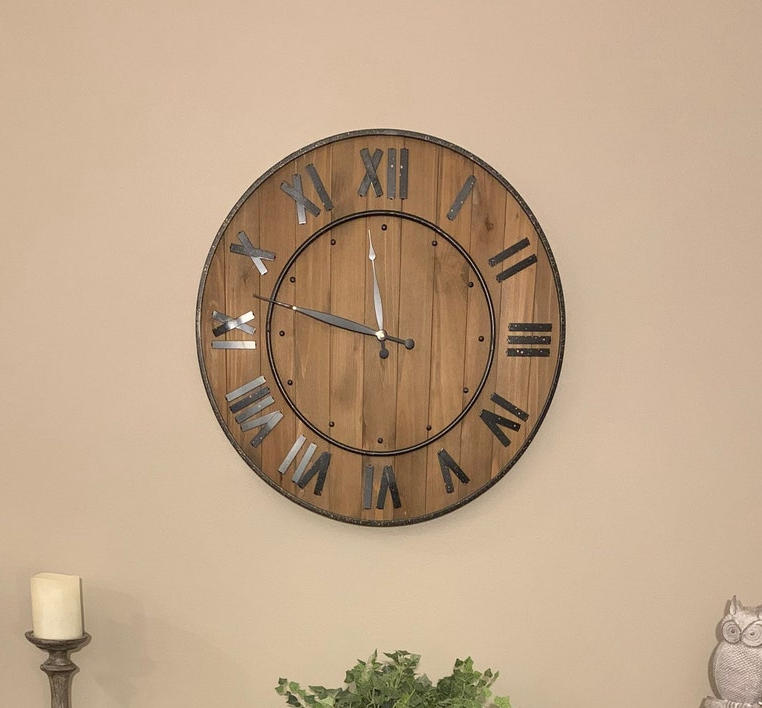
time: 11:47
